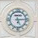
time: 5:14
